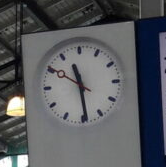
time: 11:29
